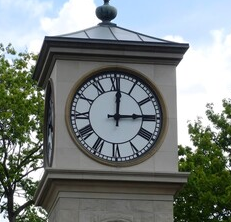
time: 3:00
